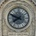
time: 7:48
